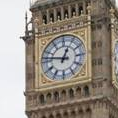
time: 12:47
